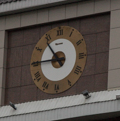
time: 10:45
